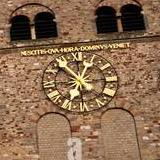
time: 12:52
